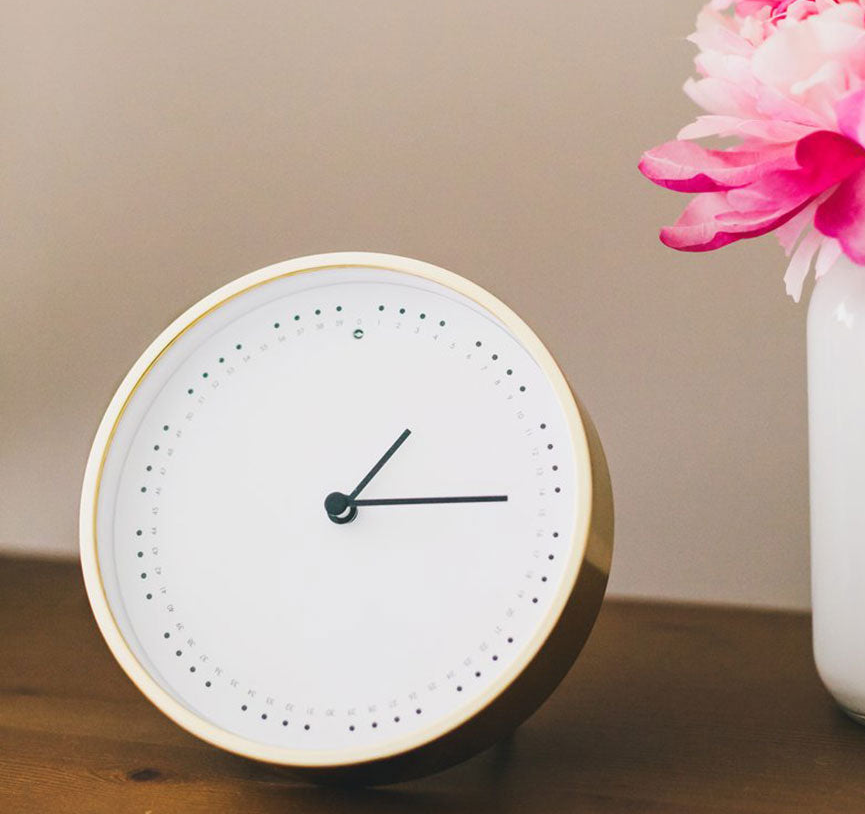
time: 1:13
